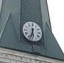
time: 5:32
